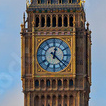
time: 12:22
